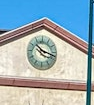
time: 10:17
